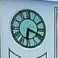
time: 6:18
